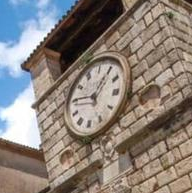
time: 12:45
